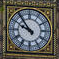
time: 9:53
